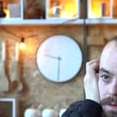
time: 9:30
